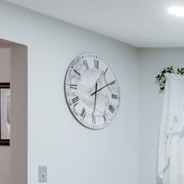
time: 12:09
